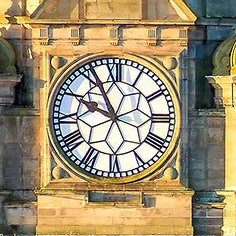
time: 9:55
